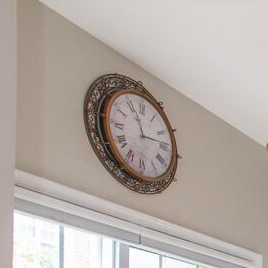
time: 11:13
